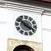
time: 3:51
